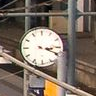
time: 3:19
